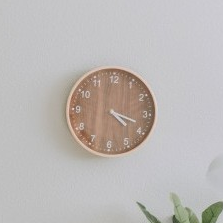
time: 4:18
